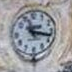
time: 11:17
